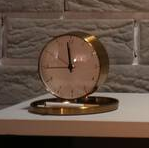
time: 11:44
